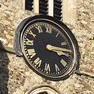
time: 3:13
